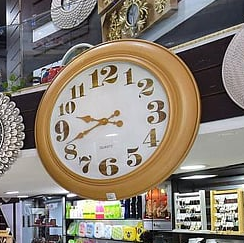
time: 9:41
